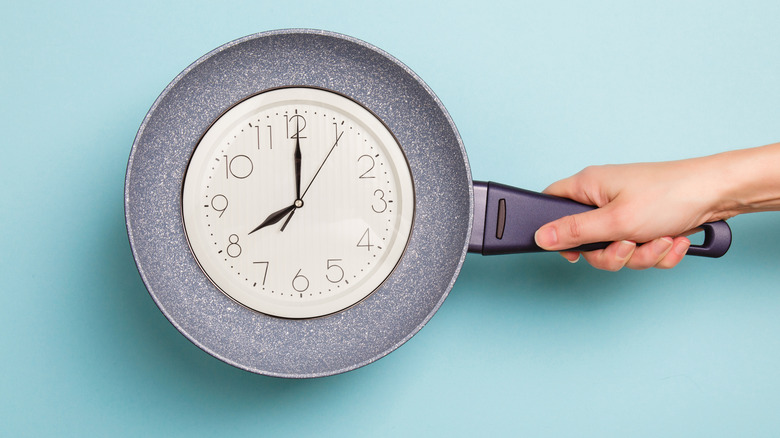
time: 7:59
